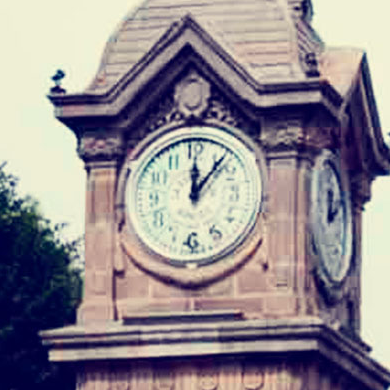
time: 12:06
